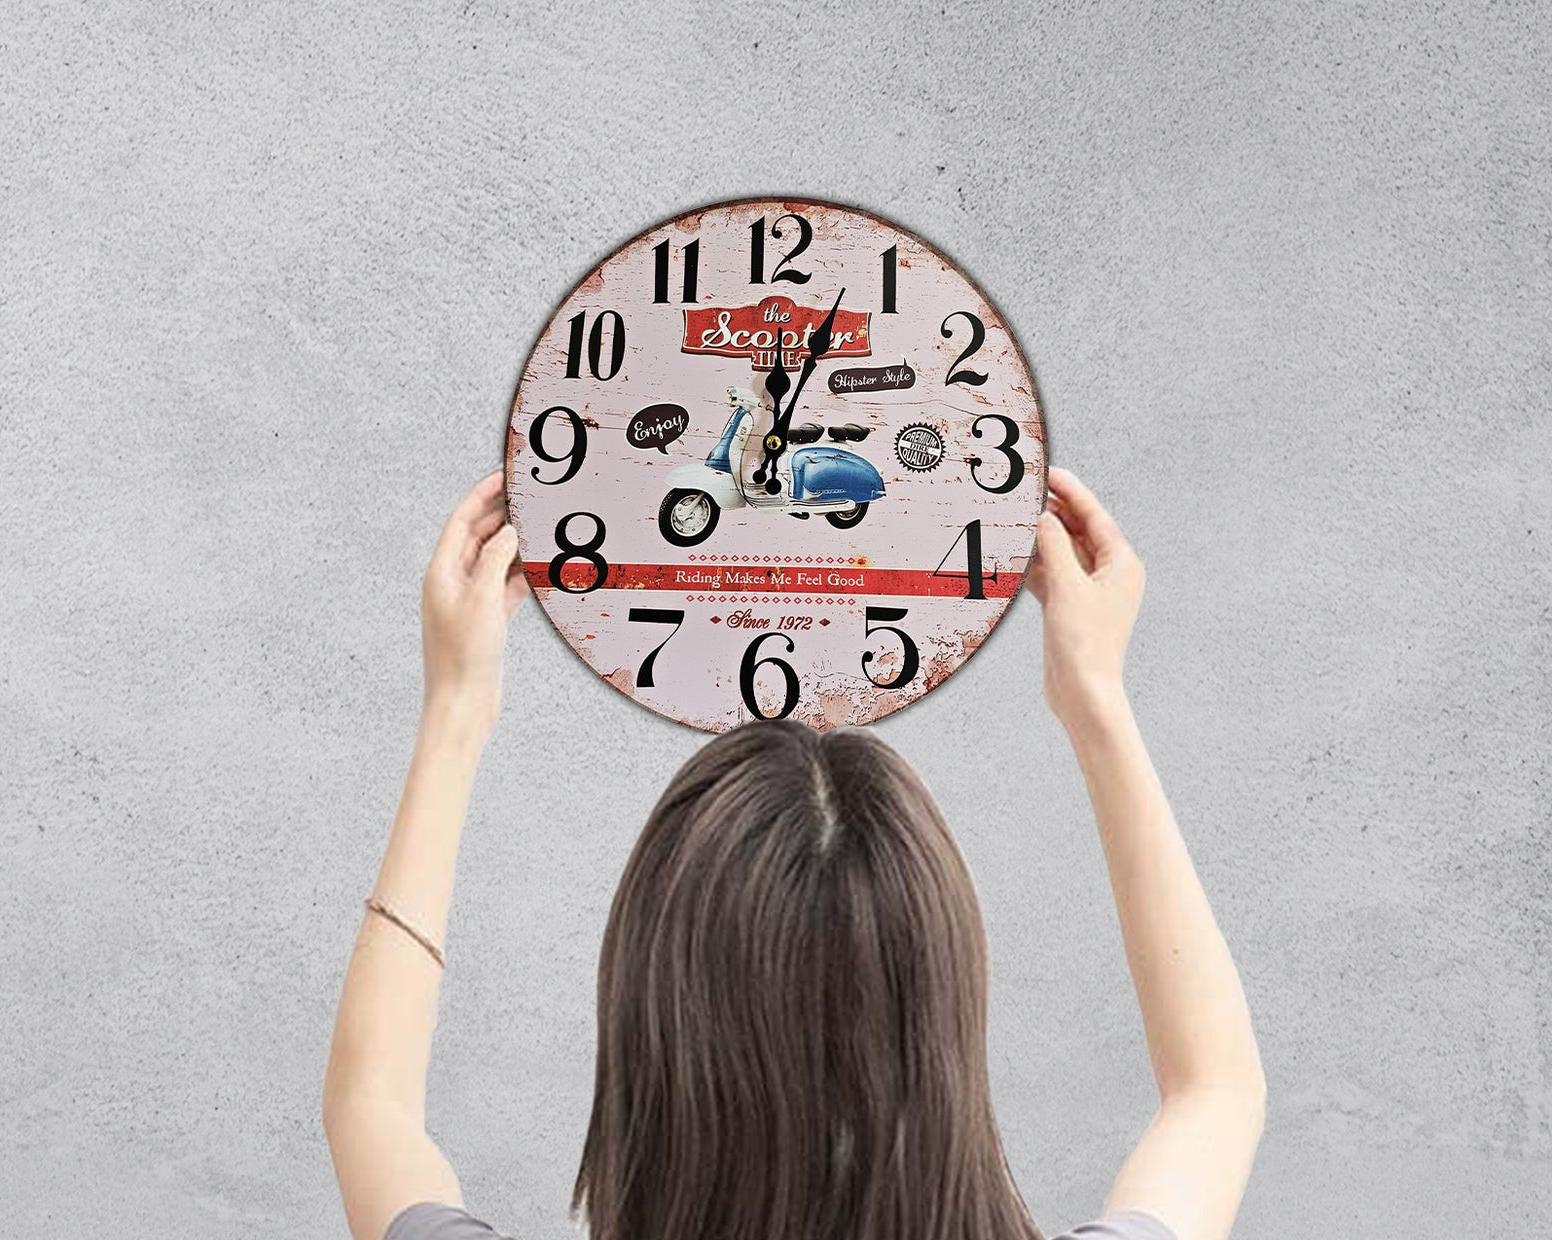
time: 12:03
